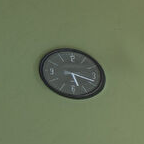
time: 5:18
